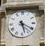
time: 5:20
